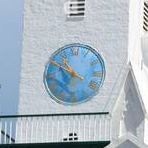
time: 10:50
